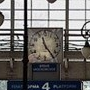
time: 11:23
